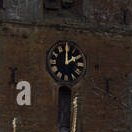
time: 2:00
